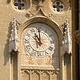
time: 11:00
